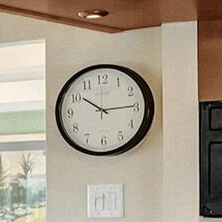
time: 10:14
